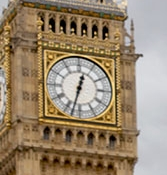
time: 12:32
